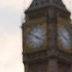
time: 3:51
